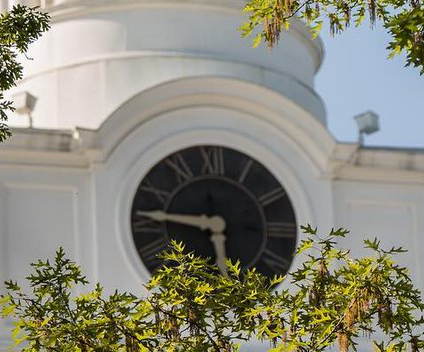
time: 5:46
